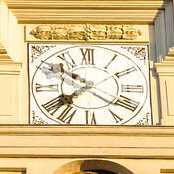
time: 7:51
